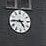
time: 4:45
